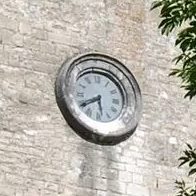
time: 5:40
